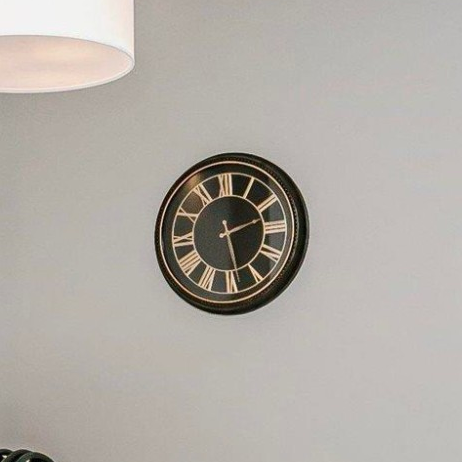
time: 2:28
